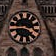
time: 3:43
